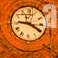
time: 9:20
